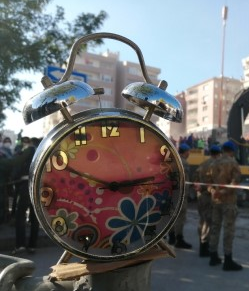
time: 2:49
